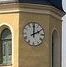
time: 2:00
